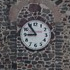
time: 8:54
